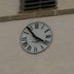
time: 3:53
